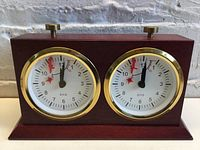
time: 12:01
